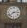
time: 2:38
